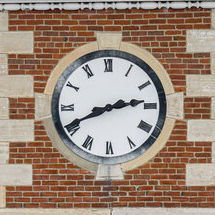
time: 2:40
